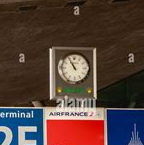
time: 10:55
